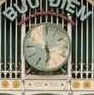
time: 5:59
